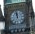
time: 11:58
